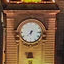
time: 6:37
